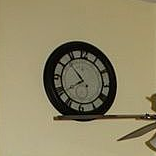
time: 7:52
